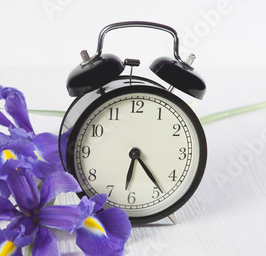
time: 6:23
